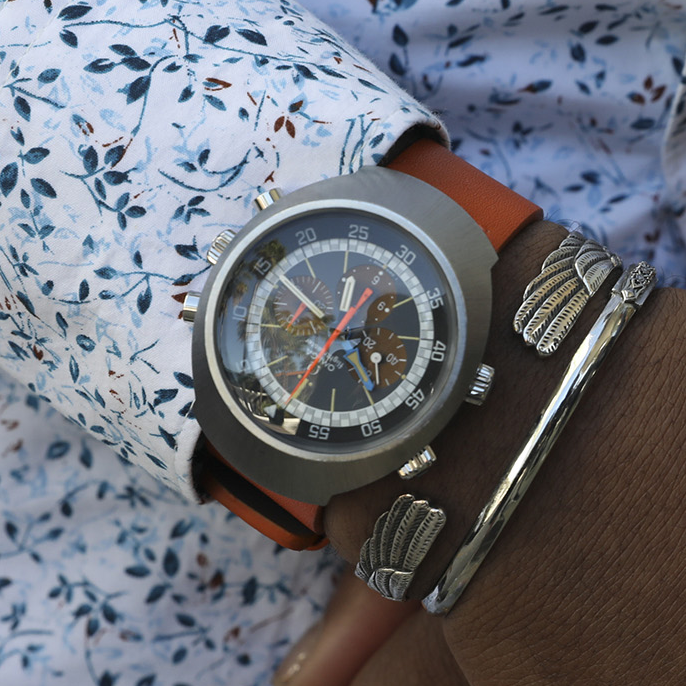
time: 12:52
